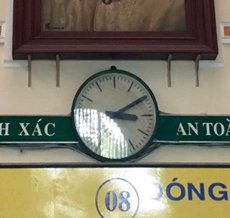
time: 3:10
